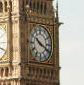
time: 10:19
